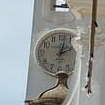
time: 2:02
